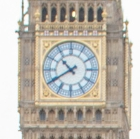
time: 10:39
